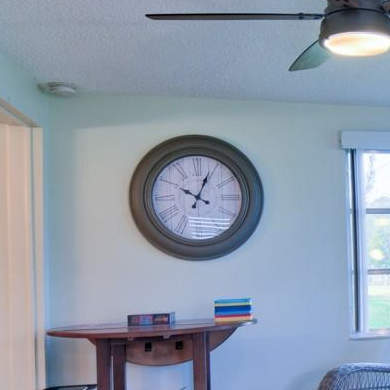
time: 10:03
